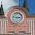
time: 2:46
